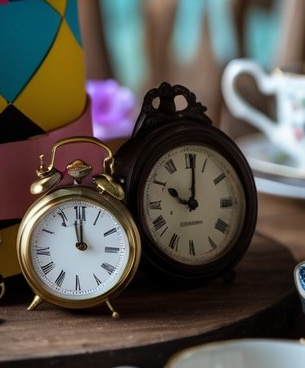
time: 10:00
